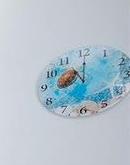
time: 11:00
